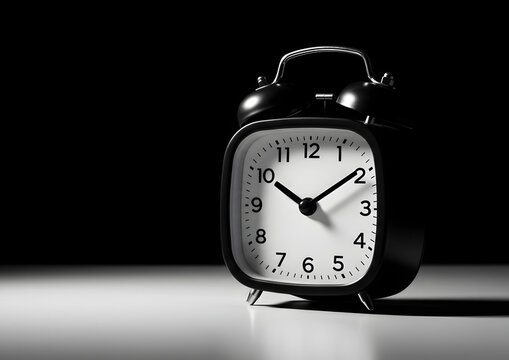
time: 10:09
